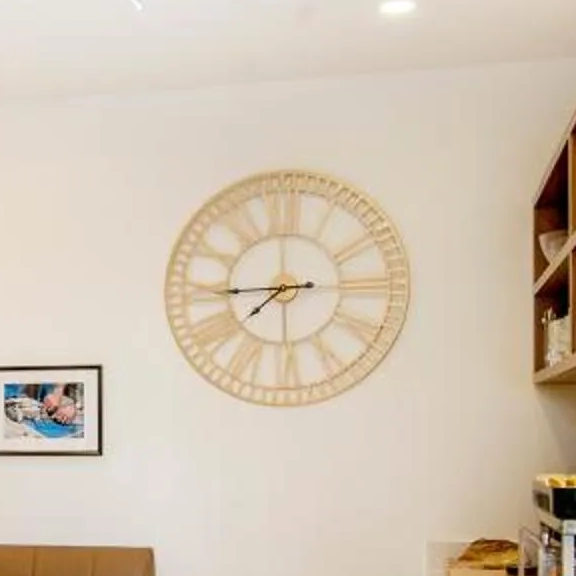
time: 7:44
